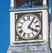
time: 4:05
